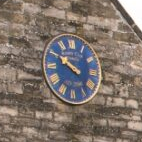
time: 9:50
